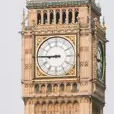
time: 8:45
